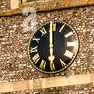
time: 5:59
